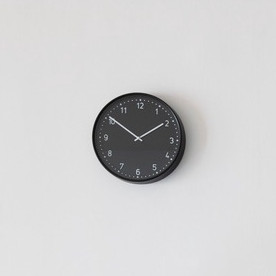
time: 1:50
